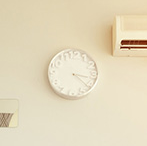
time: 3:21
